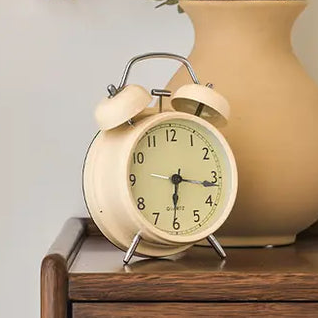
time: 6:16
